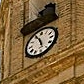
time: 5:55
